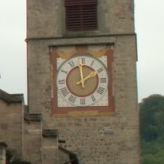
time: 1:59
